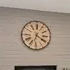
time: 6:20
